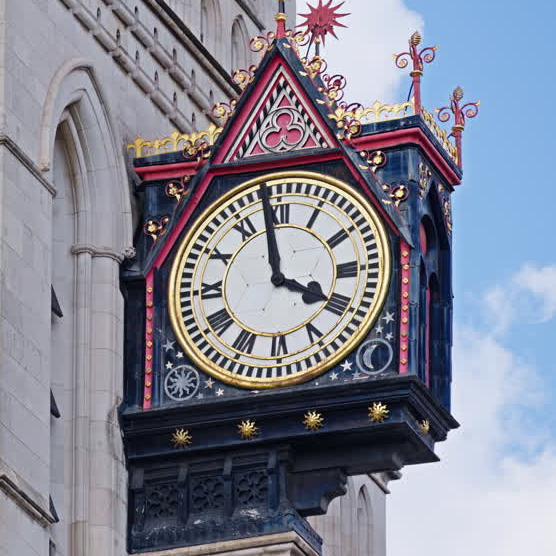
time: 3:58
